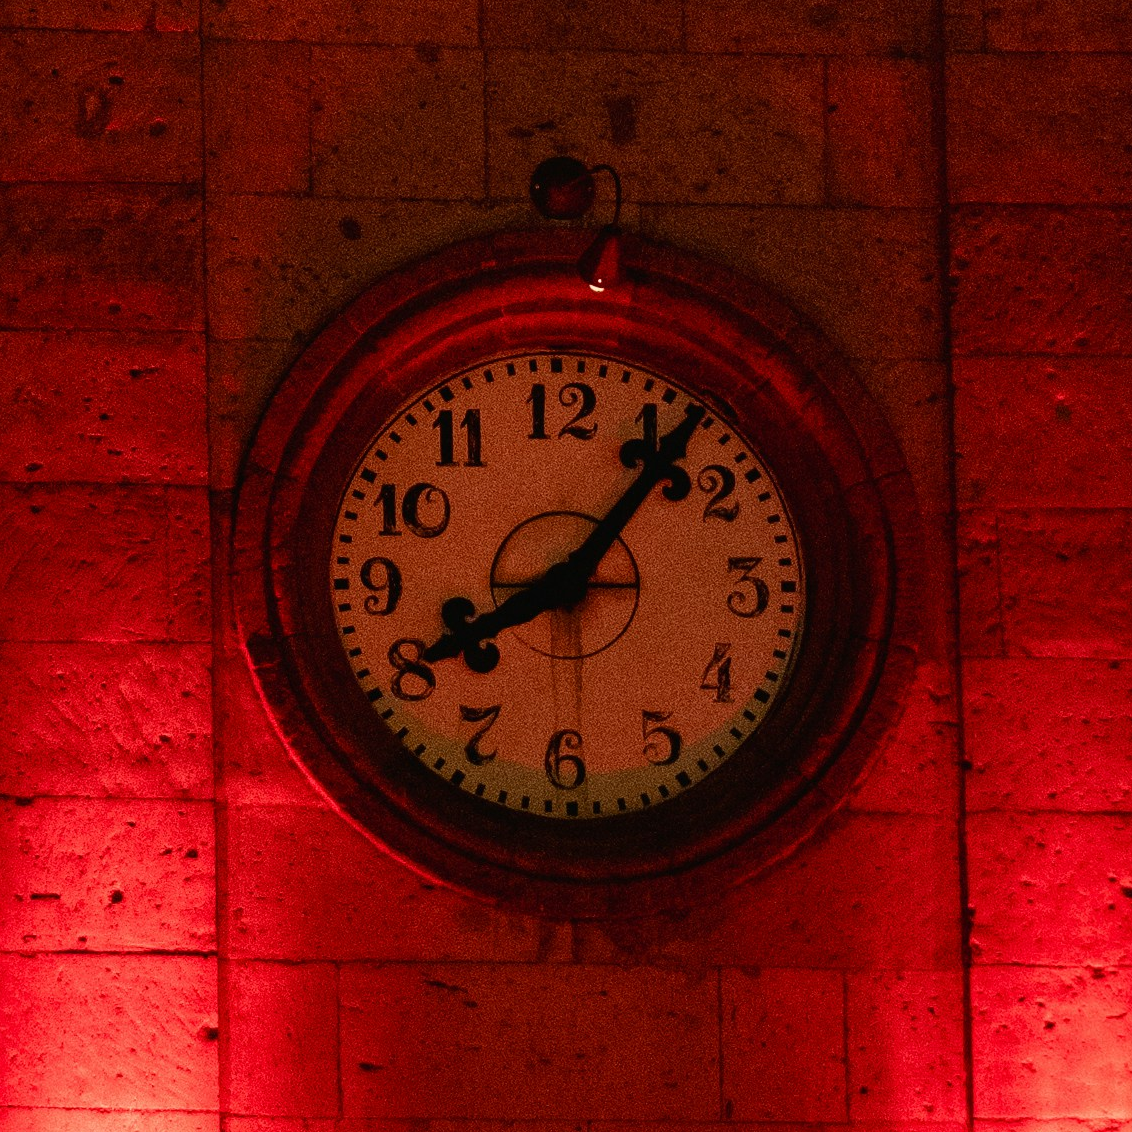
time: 8:06
